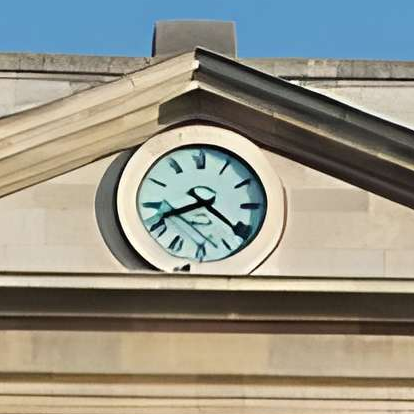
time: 8:21
